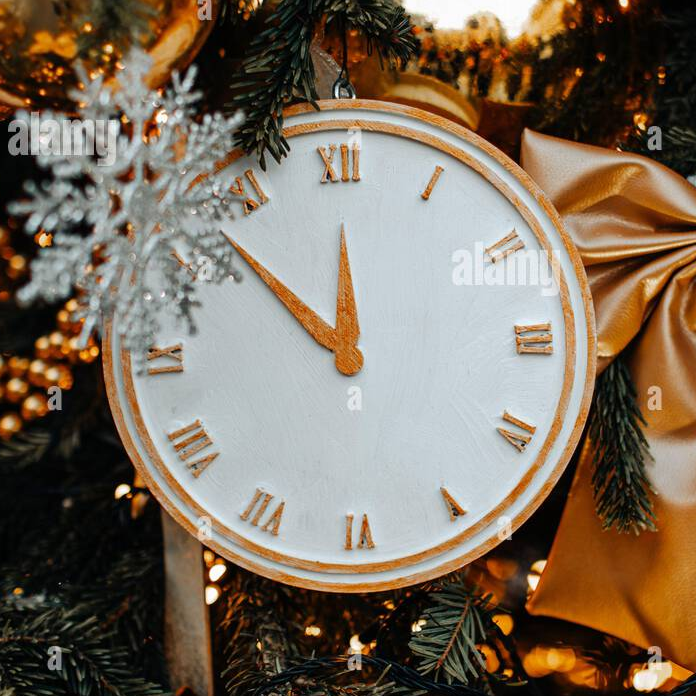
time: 11:52
